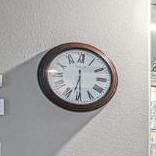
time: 6:29
